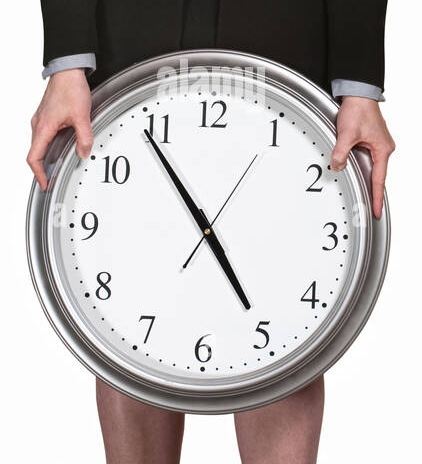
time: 4:54
